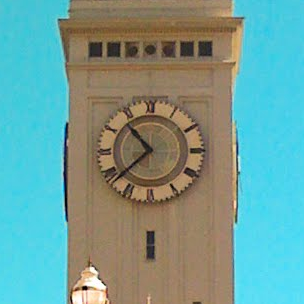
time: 10:38
